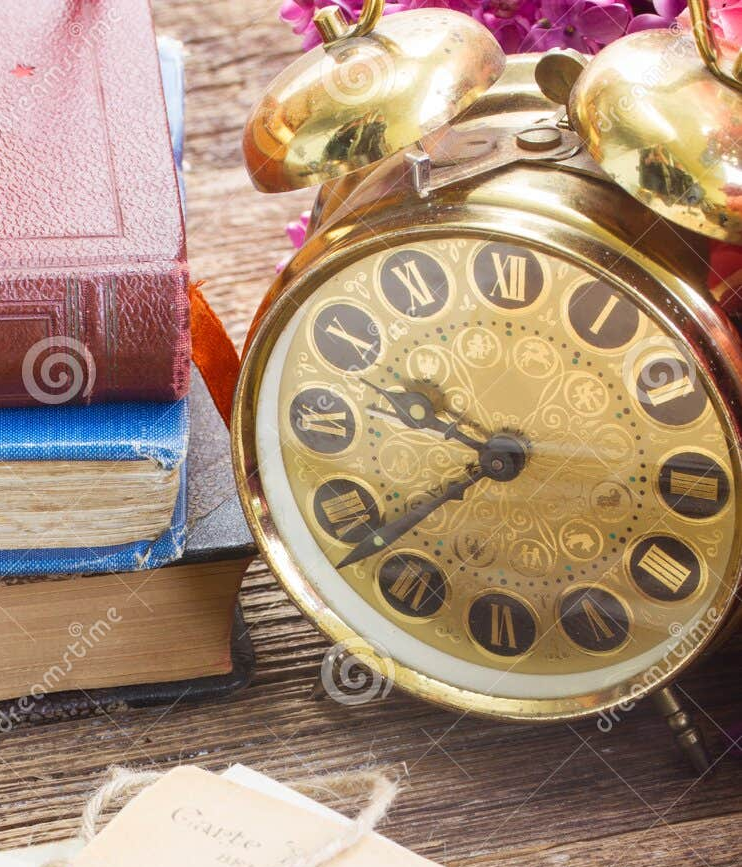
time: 9:38
